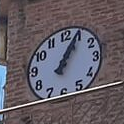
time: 1:04
